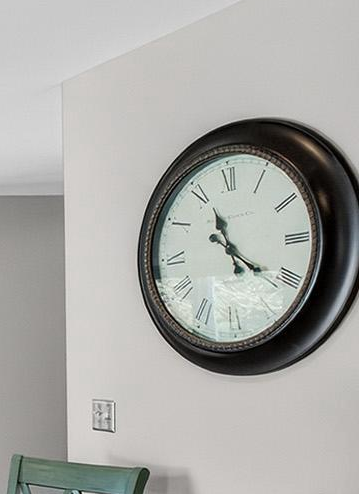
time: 11:21
